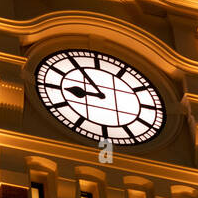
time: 8:54
